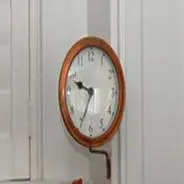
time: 9:34
